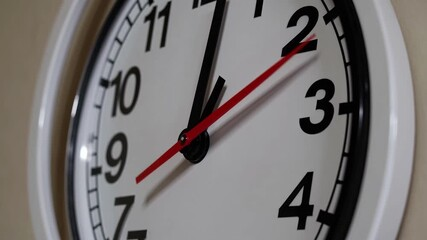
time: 1:01
